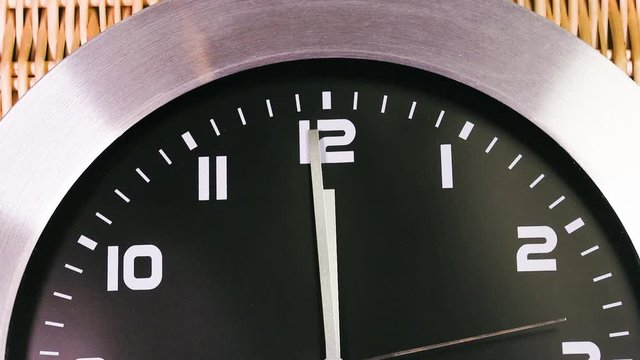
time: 11:59
